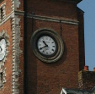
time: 10:40
